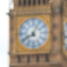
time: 8:04
